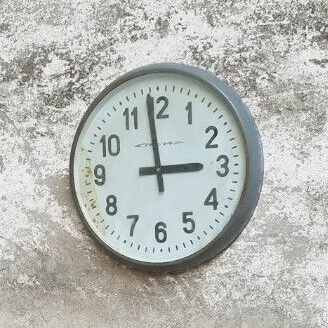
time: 2:58
